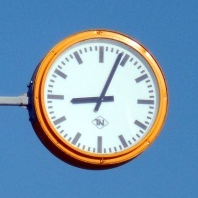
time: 9:03
